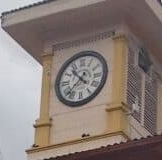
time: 10:37
